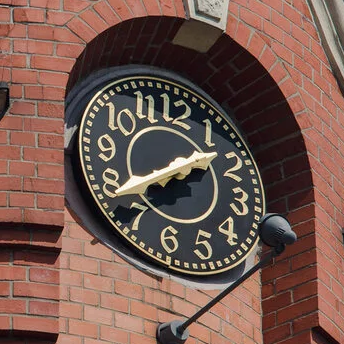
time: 1:38
